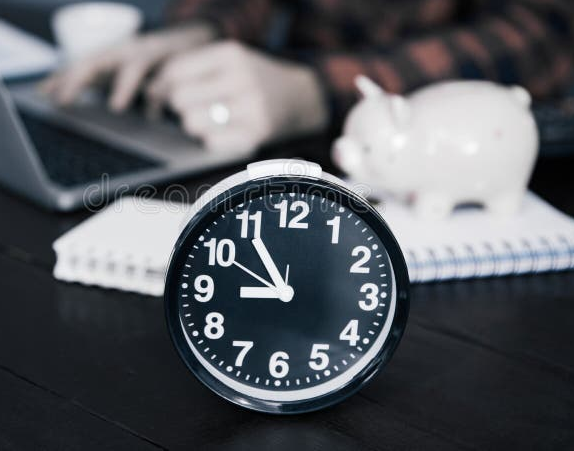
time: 8:54
